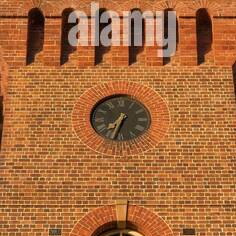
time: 7:33
